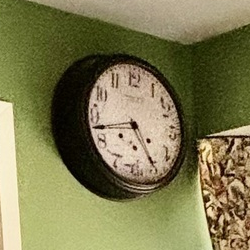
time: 4:42
